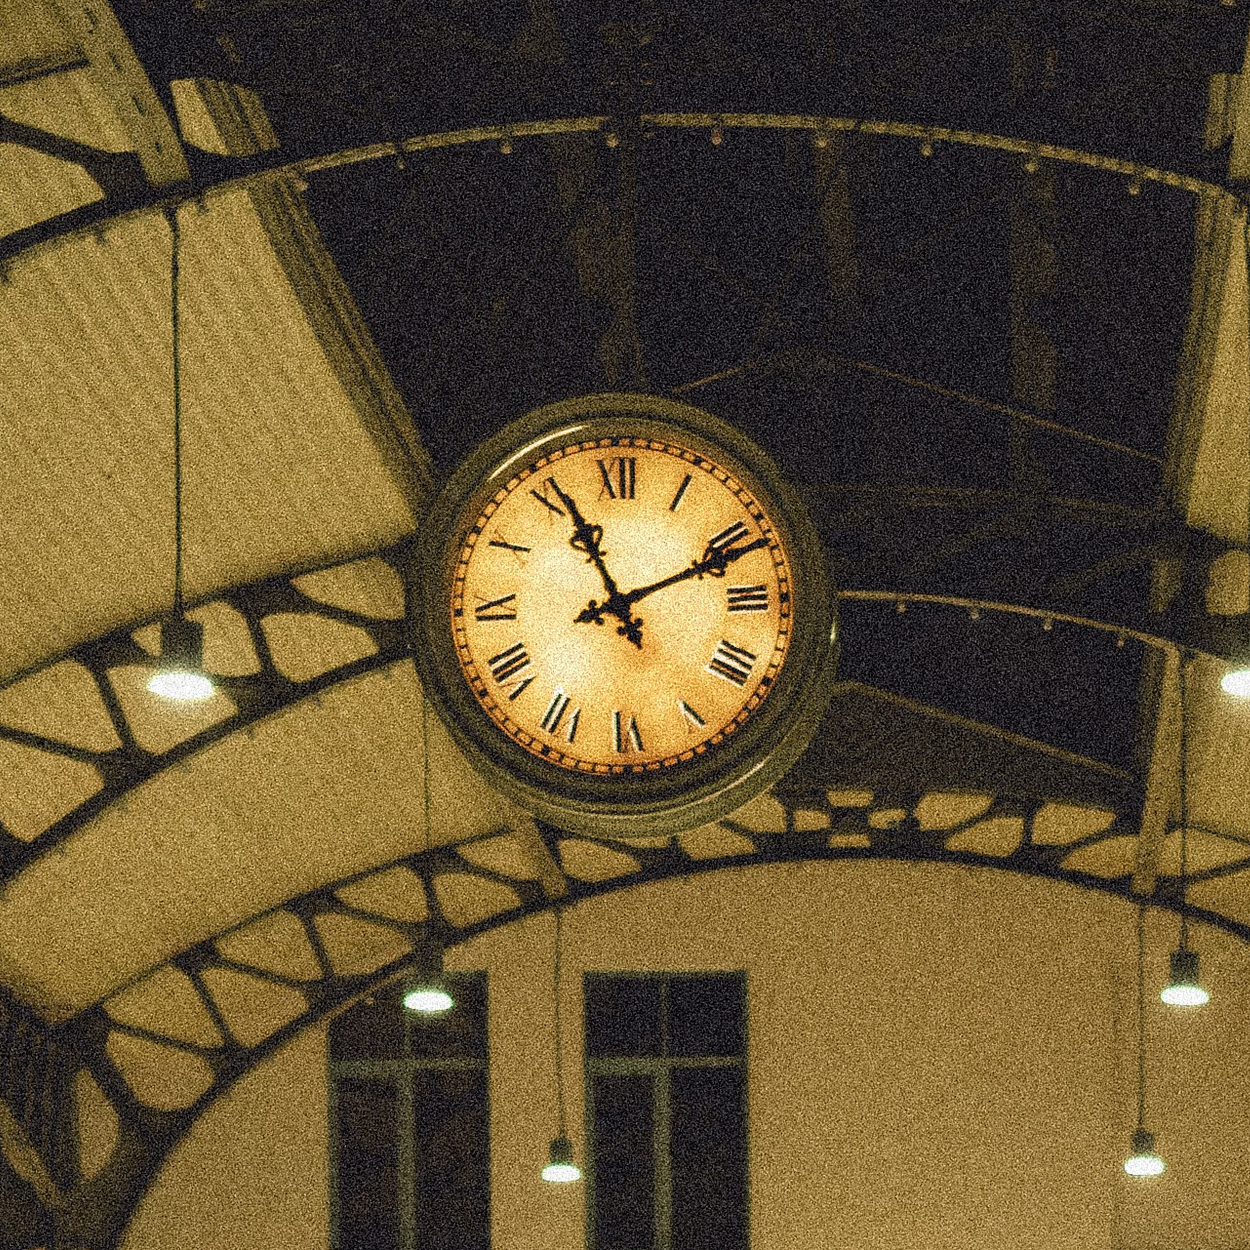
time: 11:11
